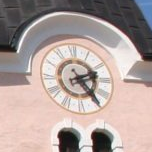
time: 2:23
